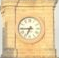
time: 6:44
